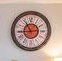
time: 10:44
